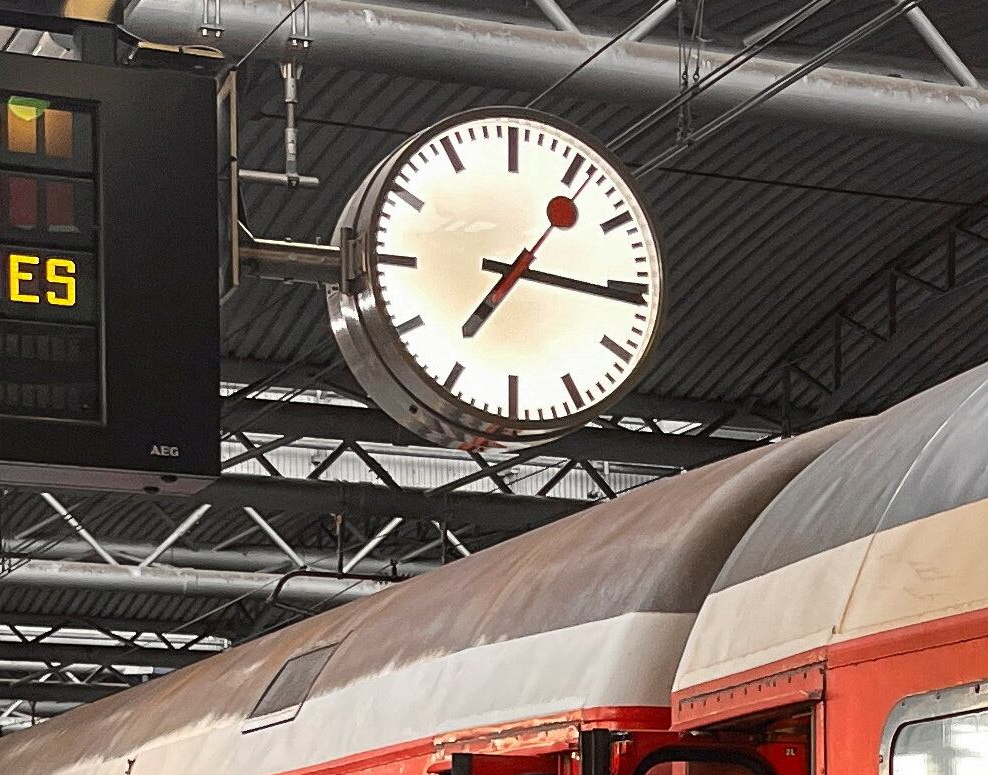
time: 7:16
